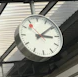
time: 3:09
